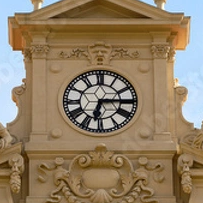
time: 6:14
